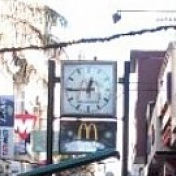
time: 12:44
